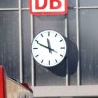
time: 11:48
